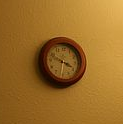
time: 3:48
